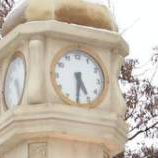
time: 4:30
